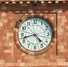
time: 4:42
